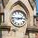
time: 2:46
